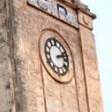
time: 2:12
